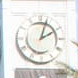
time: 2:03
